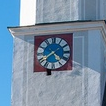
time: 4:39
